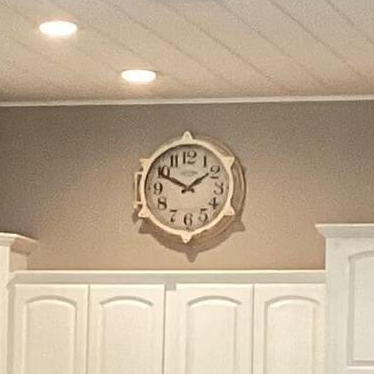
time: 1:49
